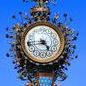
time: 4:44
